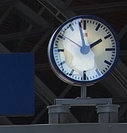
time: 1:58
